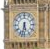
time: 5:32
